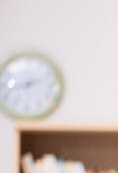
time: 8:12
